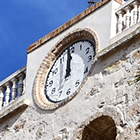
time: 11:59
